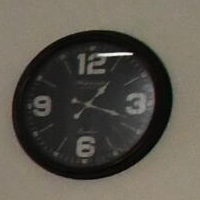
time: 1:18
